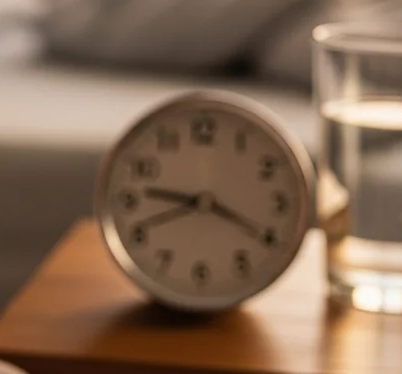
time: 9:20
